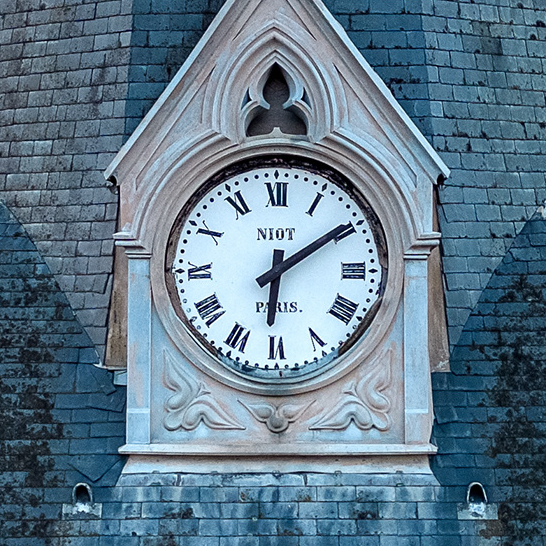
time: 6:09
